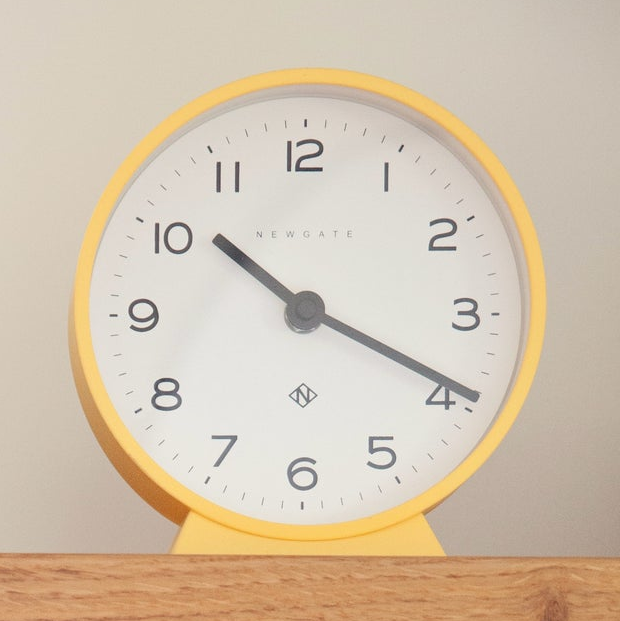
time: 10:19
